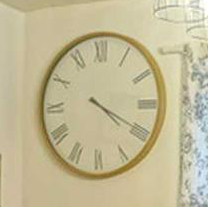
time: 4:19
